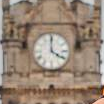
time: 4:00
